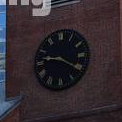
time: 9:20
